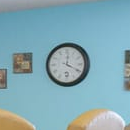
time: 12:19
